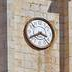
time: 3:40
